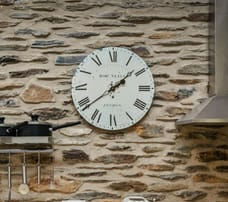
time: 1:38
